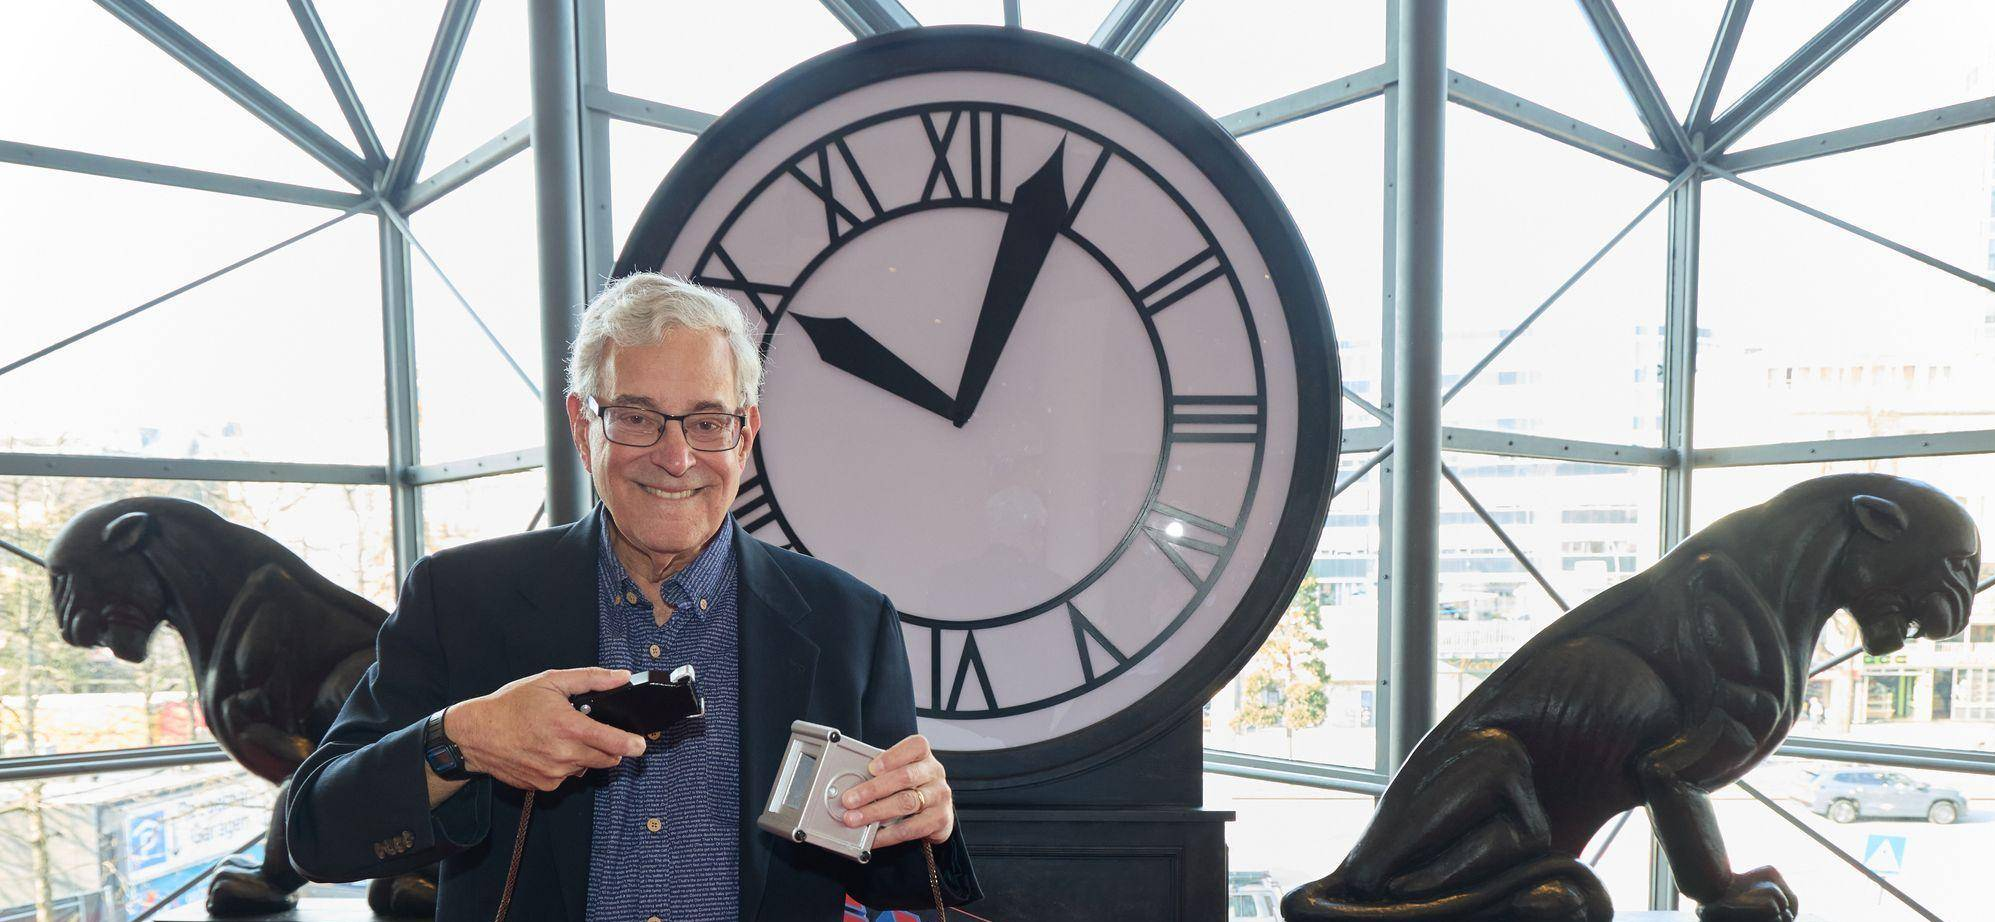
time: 10:03
